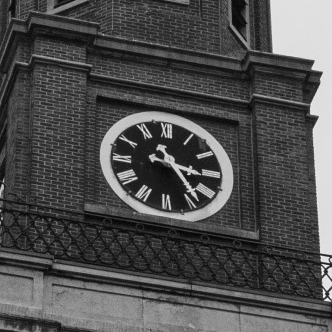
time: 3:23
